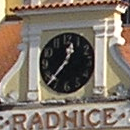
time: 12:37
